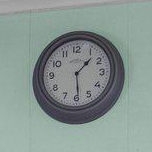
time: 1:29
